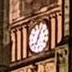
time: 7:04
